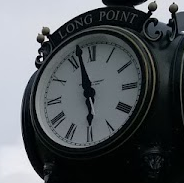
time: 5:57
